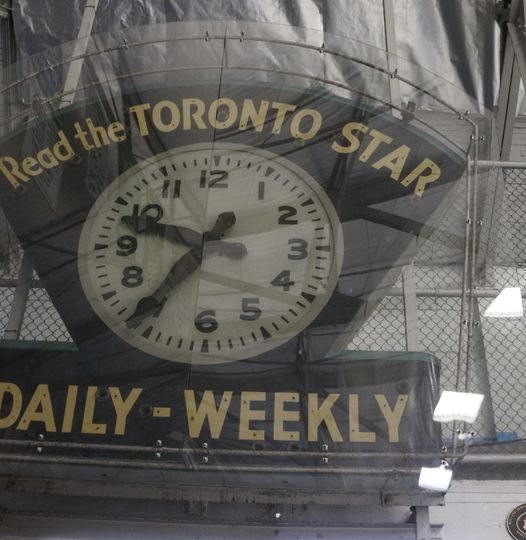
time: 9:36
